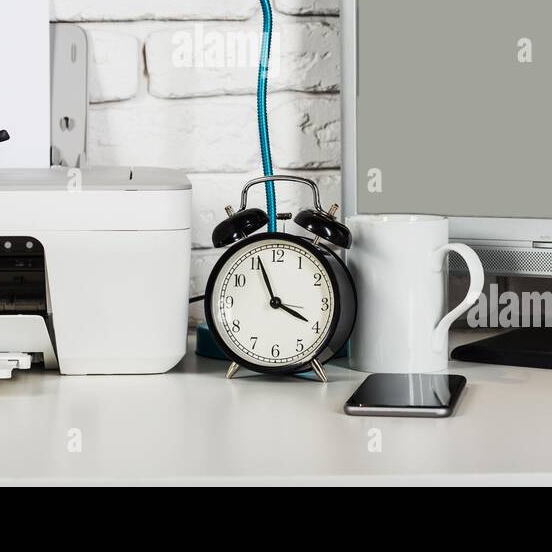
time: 3:56
